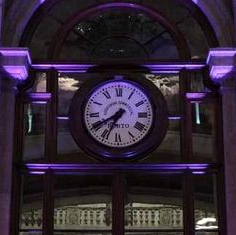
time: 7:34
